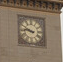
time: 9:45
